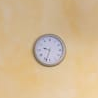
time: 9:33
